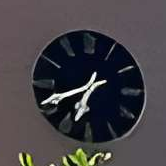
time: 6:41
